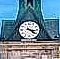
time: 4:16
